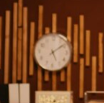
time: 5:08
